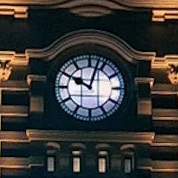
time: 10:02
